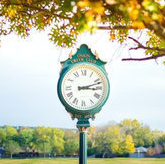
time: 3:12
